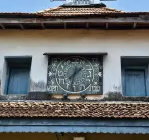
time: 1:32
